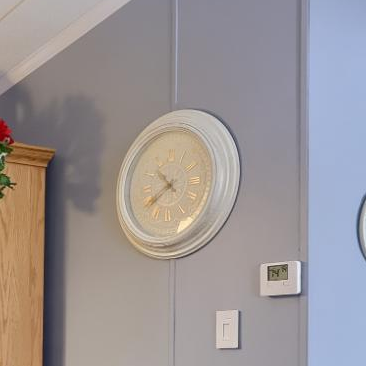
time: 10:39
